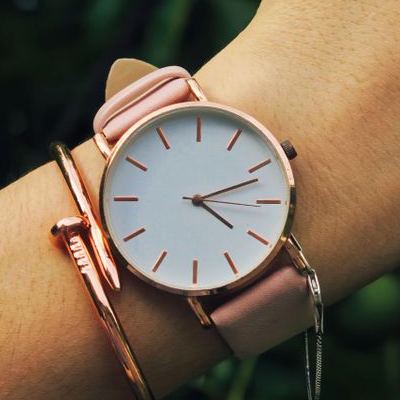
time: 4:11
